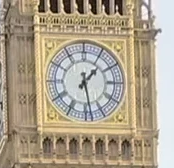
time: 1:28
